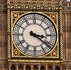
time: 3:21
